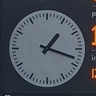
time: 1:18
